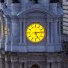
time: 5:13
